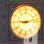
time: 9:12
